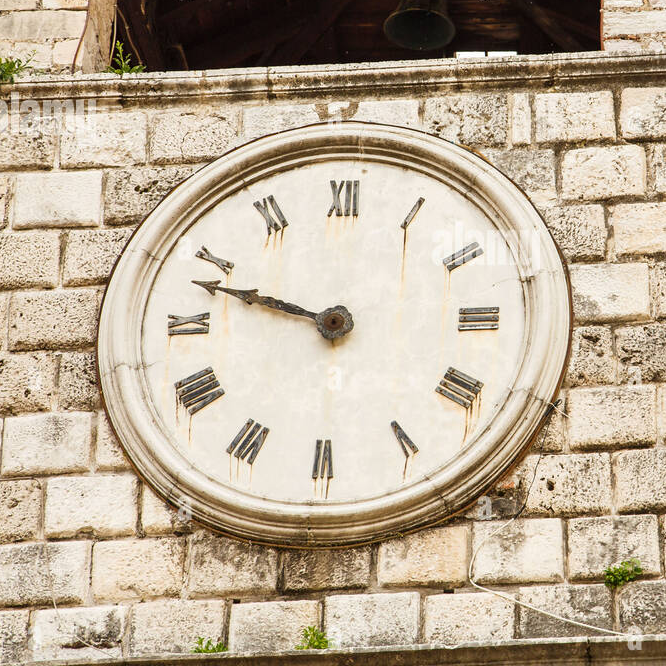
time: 9:48
